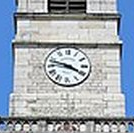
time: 3:47
